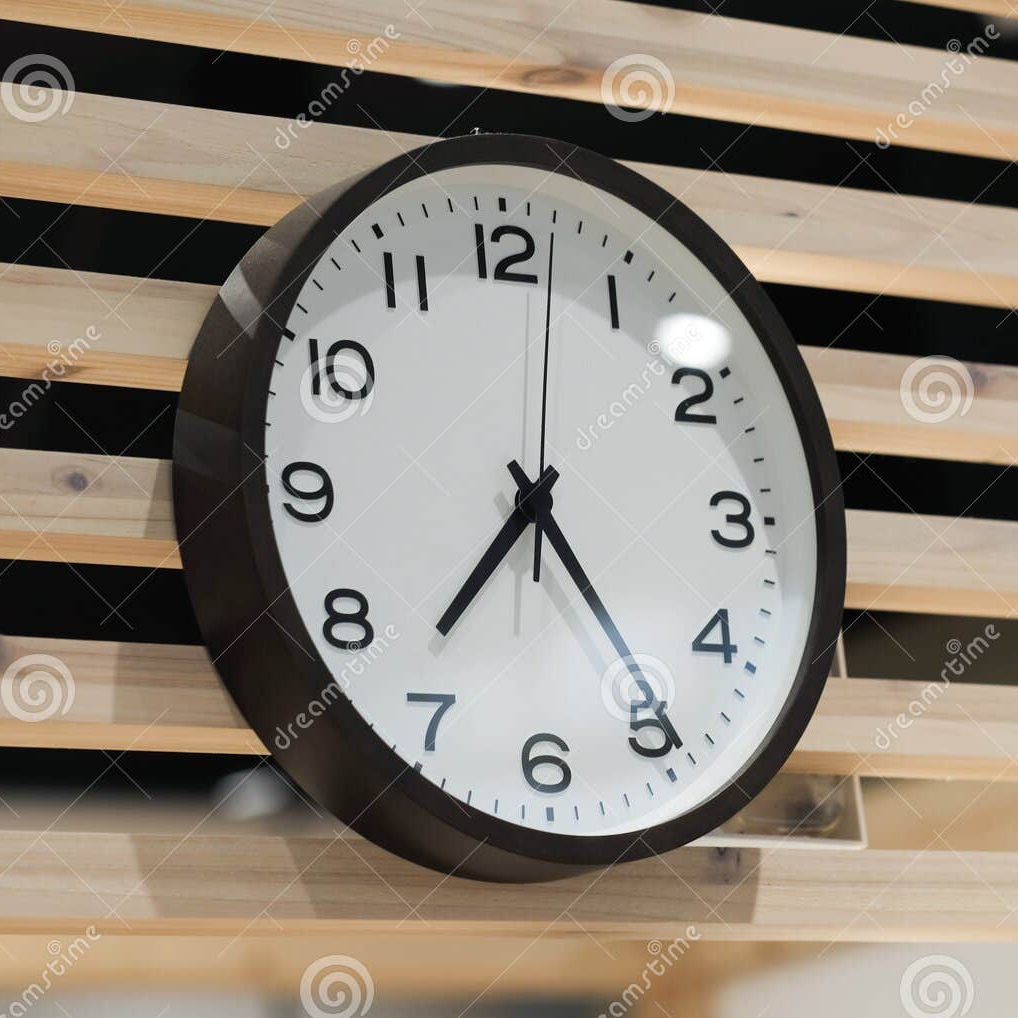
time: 7:24
